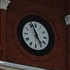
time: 4:56
